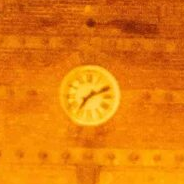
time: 7:11
